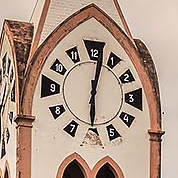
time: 6:02
